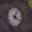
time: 4:04
